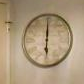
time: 6:00
